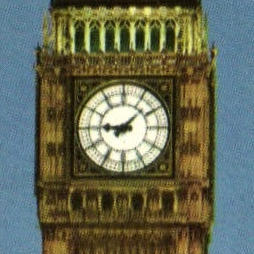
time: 9:07
